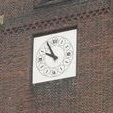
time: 9:55
